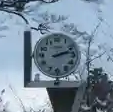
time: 2:12
